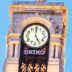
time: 5:00
